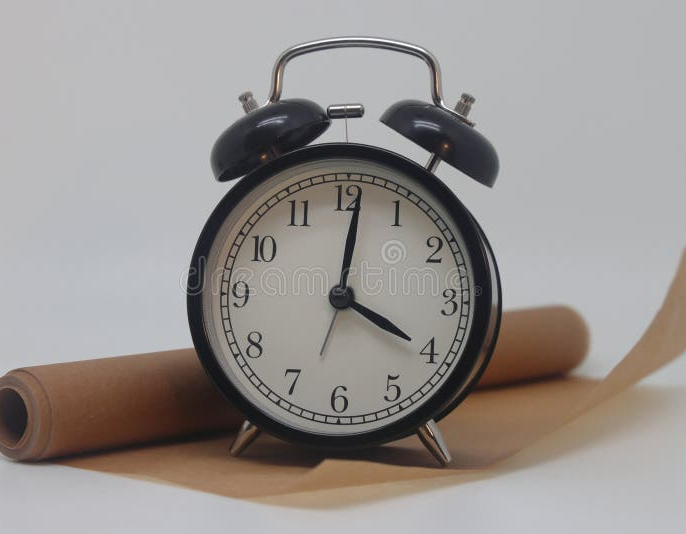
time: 4:01
